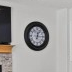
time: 12:14
